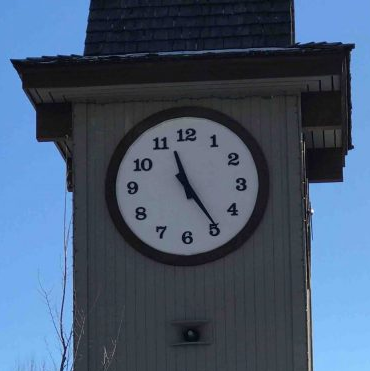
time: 11:24
